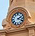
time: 2:18
